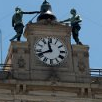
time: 11:41
